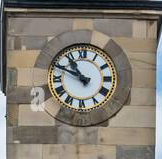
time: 10:48
